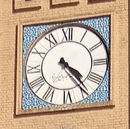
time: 4:23
